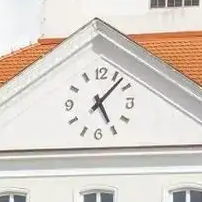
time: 5:07
